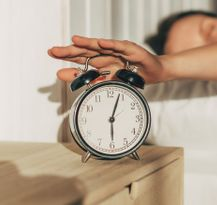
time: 6:03
